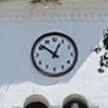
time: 12:51
